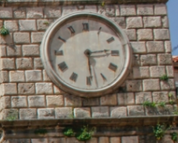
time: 2:29
